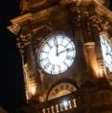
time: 12:13
